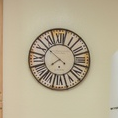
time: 7:51
